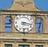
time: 3:17
